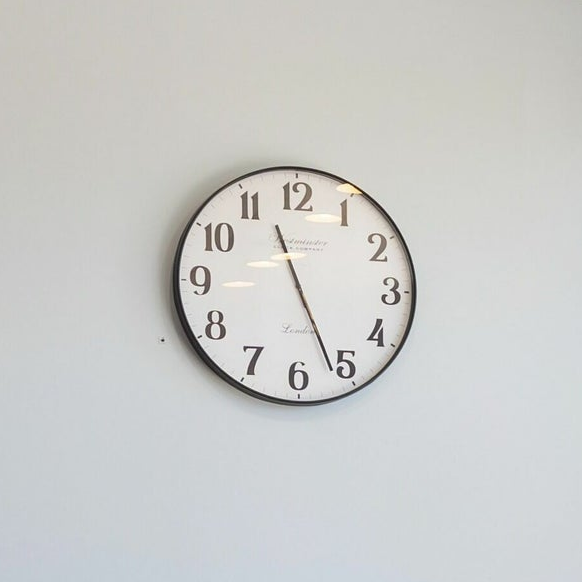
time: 11:26
